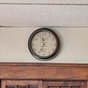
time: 11:34
